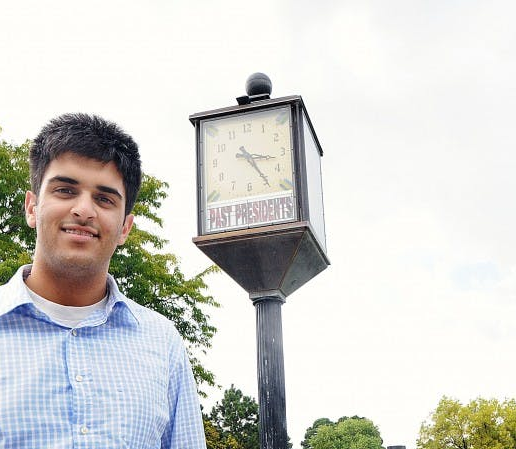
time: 3:22
